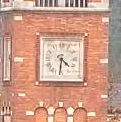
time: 4:31
